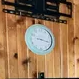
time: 3:17
